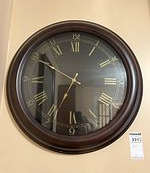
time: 6:50
